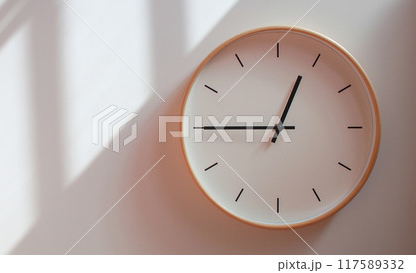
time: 12:45
